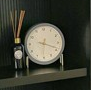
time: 6:18
